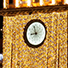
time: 8:57
